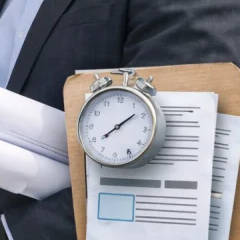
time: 1:38
